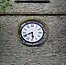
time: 5:41
